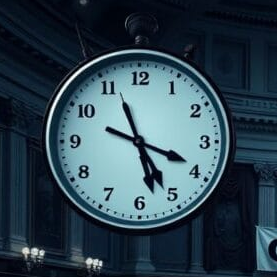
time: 5:18
